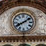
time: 8:09
